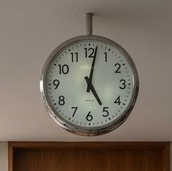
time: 5:01
